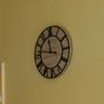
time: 11:46
